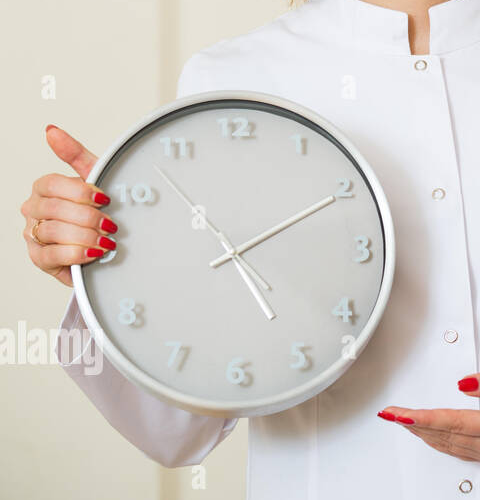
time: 4:52
